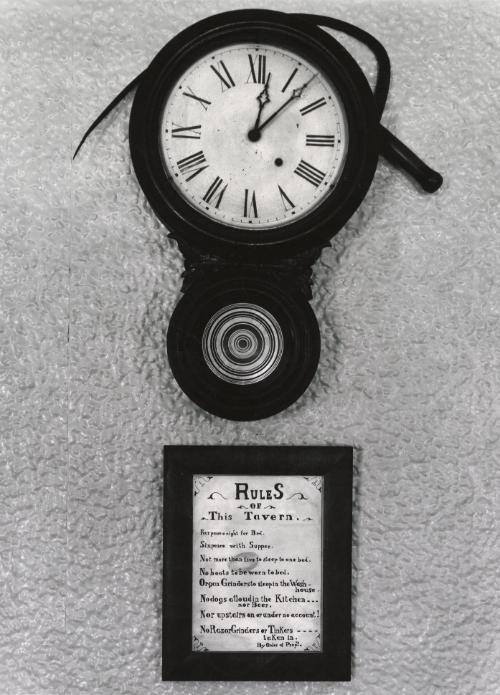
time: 12:07
